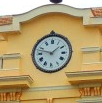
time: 1:47
